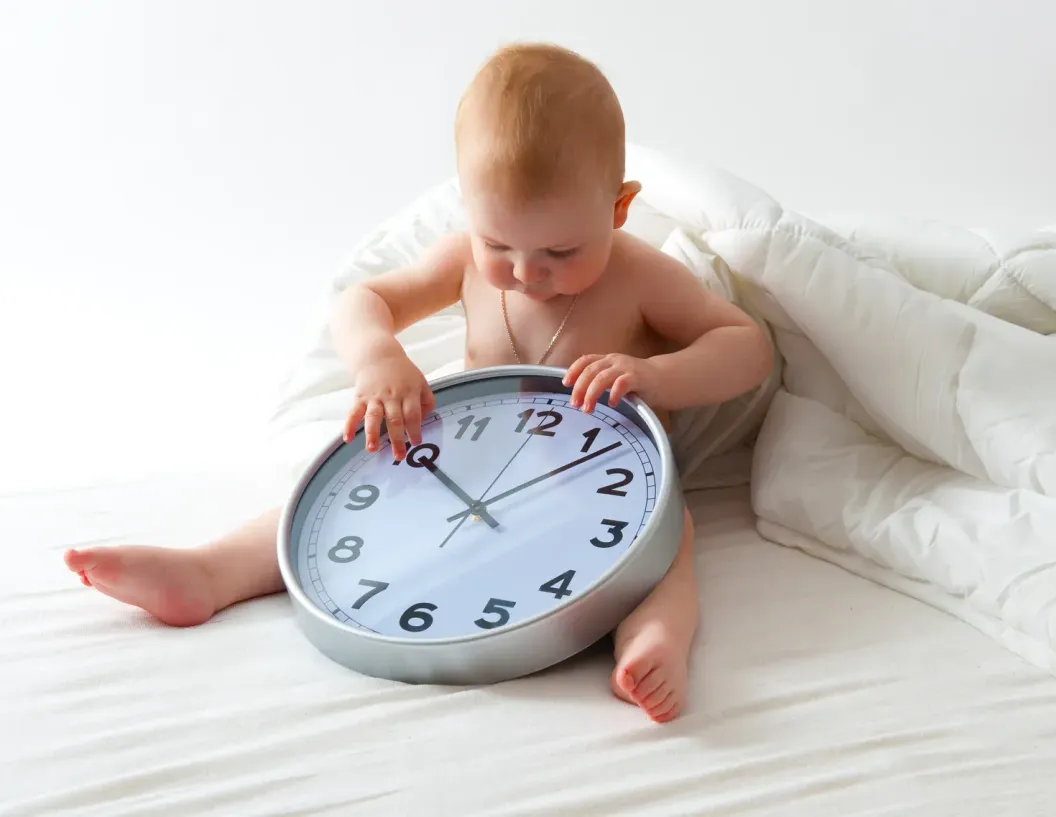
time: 10:07
